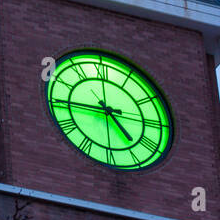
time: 4:44
